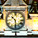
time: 10:30
